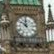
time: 11:51
